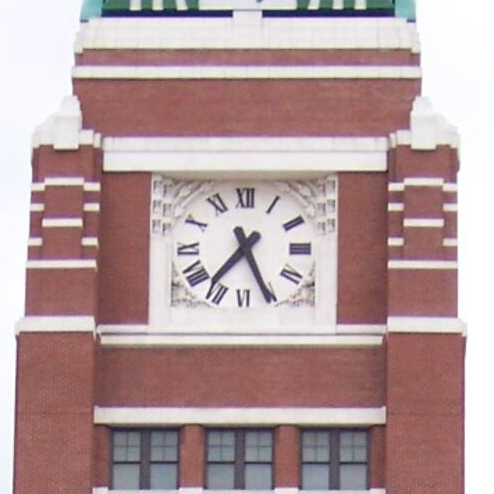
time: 7:25
